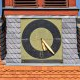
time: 5:23
